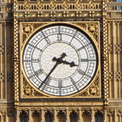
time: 3:36
